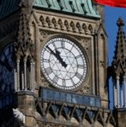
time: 10:51
